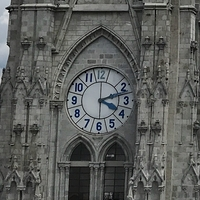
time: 4:12
